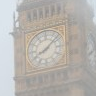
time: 8:07
